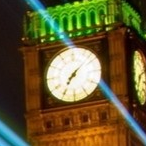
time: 7:07
